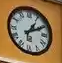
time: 1:10
